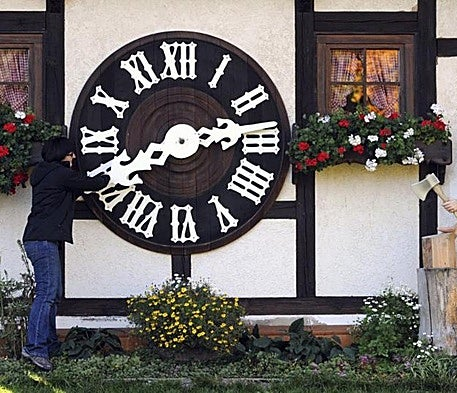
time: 2:40
